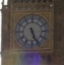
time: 5:26
